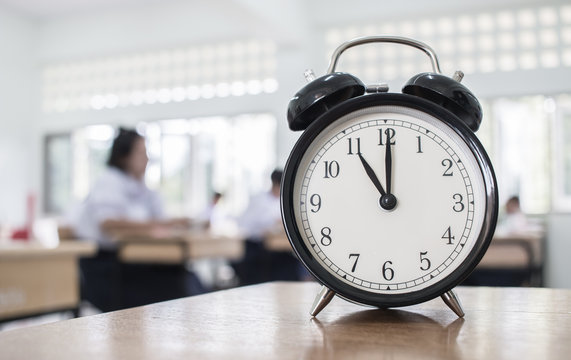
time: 11:00
